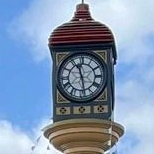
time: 11:28
